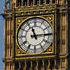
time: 11:14
